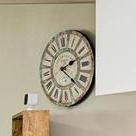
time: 2:22
